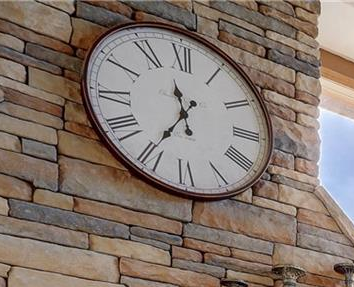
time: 11:35
